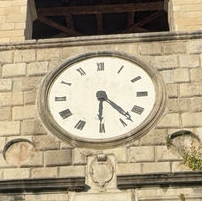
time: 4:30
